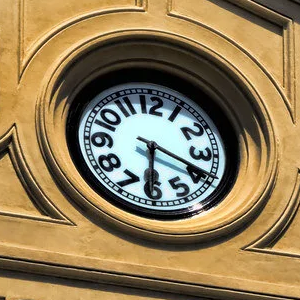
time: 6:18
